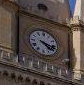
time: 4:17
